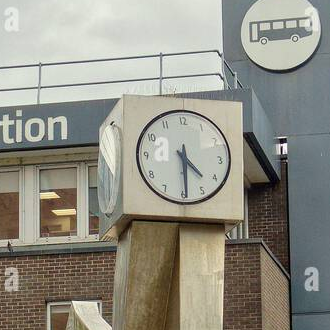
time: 4:29
